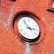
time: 2:53
